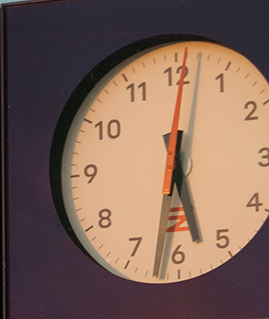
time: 5:31
